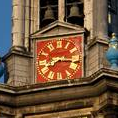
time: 8:16
